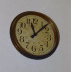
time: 11:07
